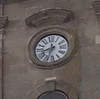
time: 8:32
